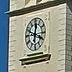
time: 12:19
